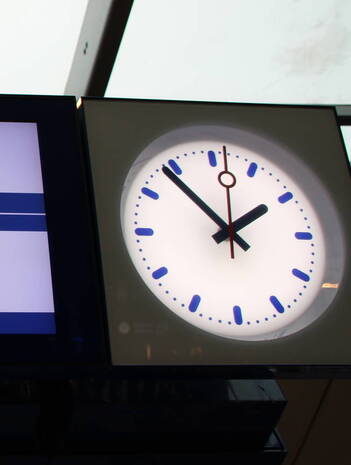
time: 1:53
